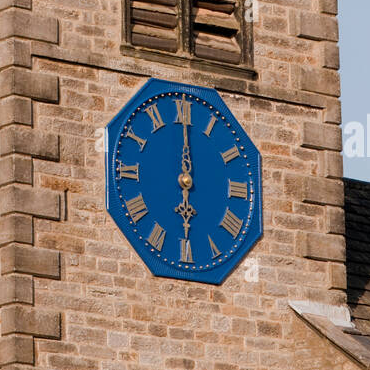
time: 6:00
